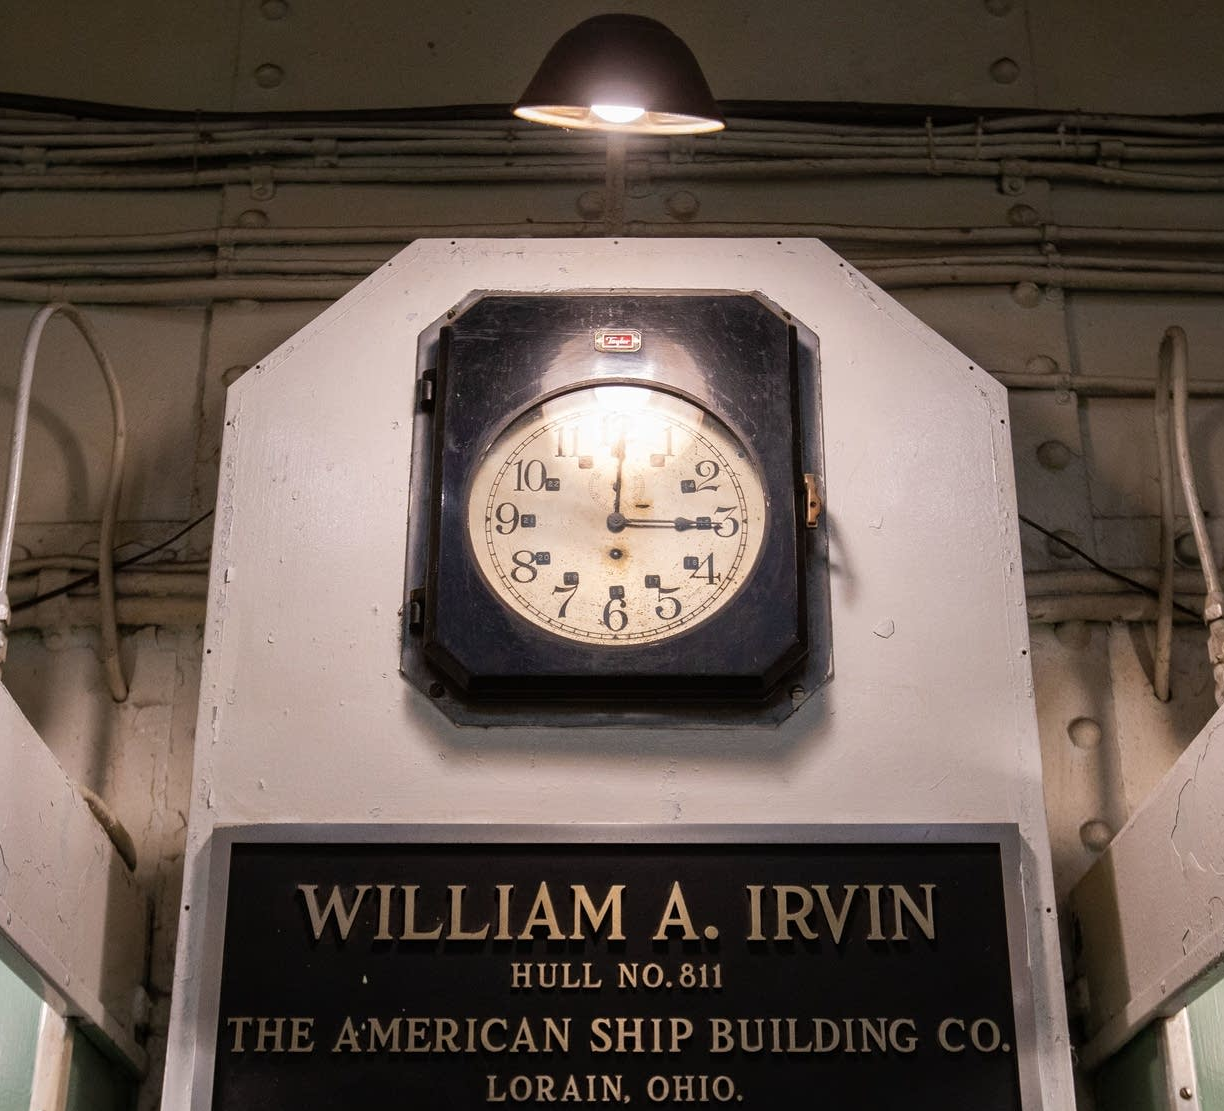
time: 12:14
